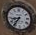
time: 8:36
